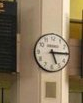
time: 5:15
